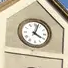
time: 4:03
